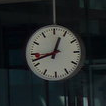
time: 12:42
